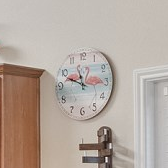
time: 11:48
